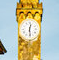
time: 12:28
